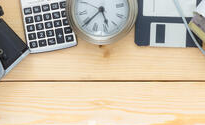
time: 5:38
